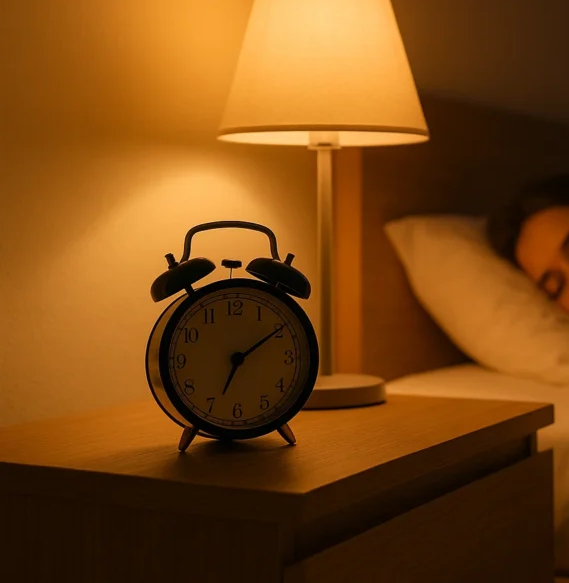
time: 7:09
